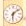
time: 6:08
